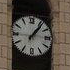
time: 1:06
